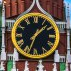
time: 1:33
